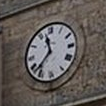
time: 11:37
